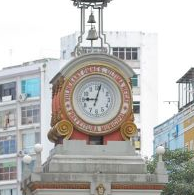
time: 9:02
